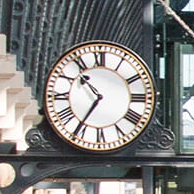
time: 10:35
